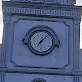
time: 7:07
